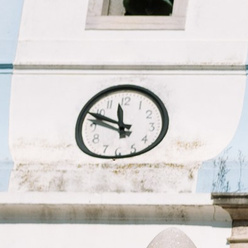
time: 11:48
